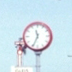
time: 11:34
